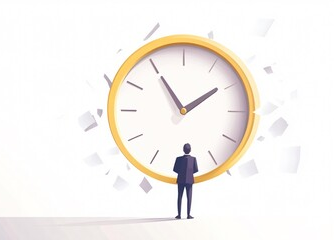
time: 1:54
